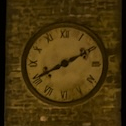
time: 8:10
